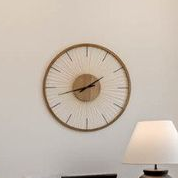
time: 1:42
